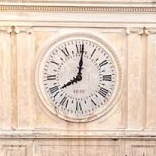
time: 8:01
